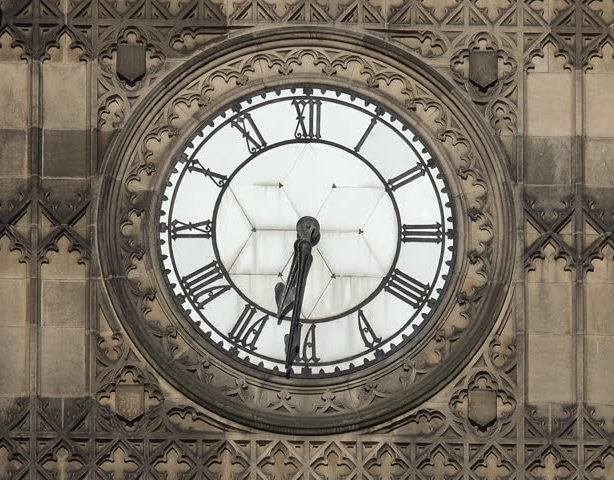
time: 6:31
